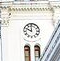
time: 10:00
